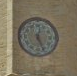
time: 12:26
